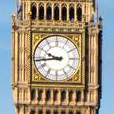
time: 9:43
